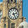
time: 2:25
